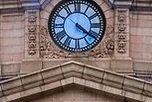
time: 4:21
